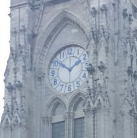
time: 1:51
